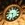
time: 5:45
